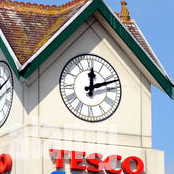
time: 12:12
